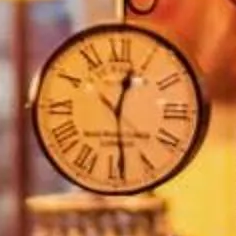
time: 12:29
